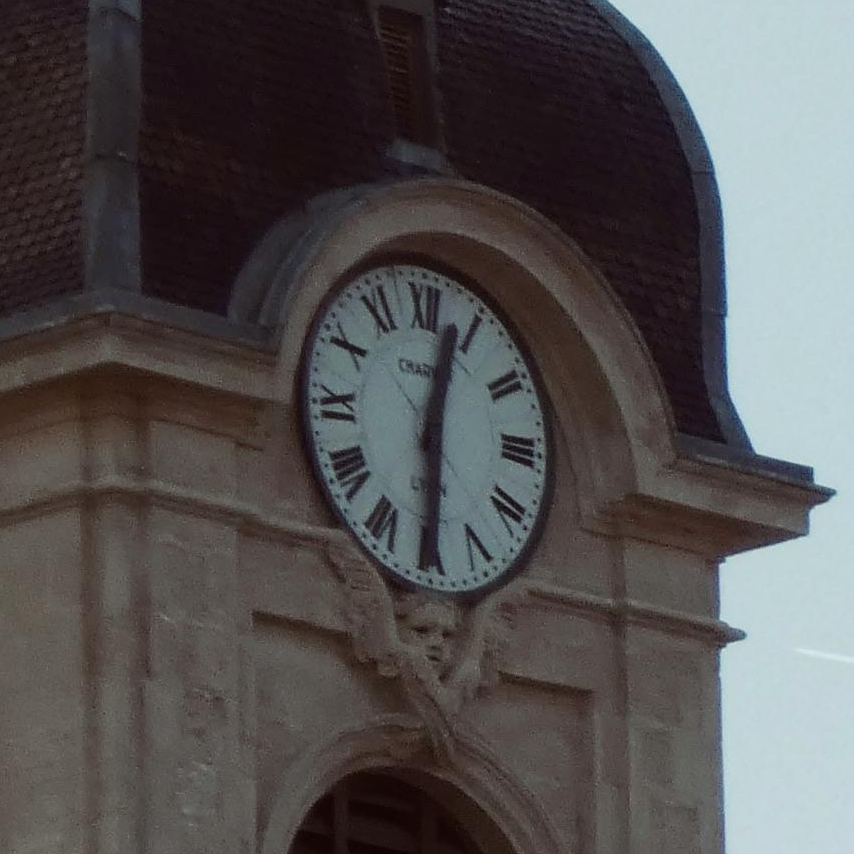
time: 12:30
